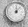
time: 12:07
